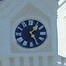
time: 1:24
